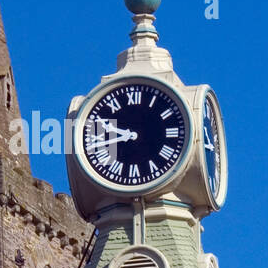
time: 9:42
